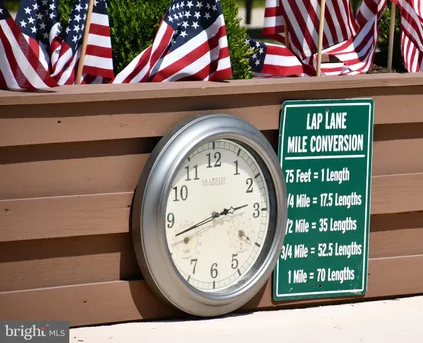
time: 2:41
